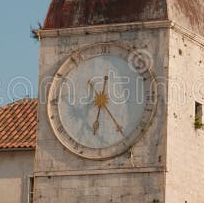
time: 12:32
